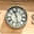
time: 11:28
